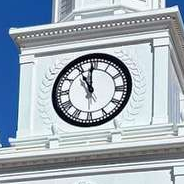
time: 10:59
